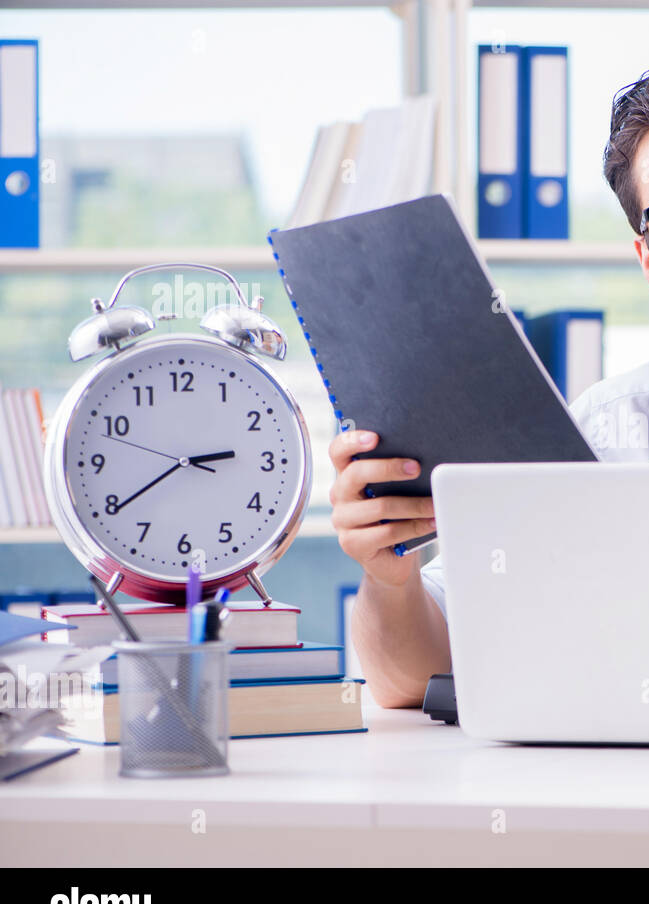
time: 2:39
